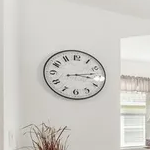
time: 3:12
